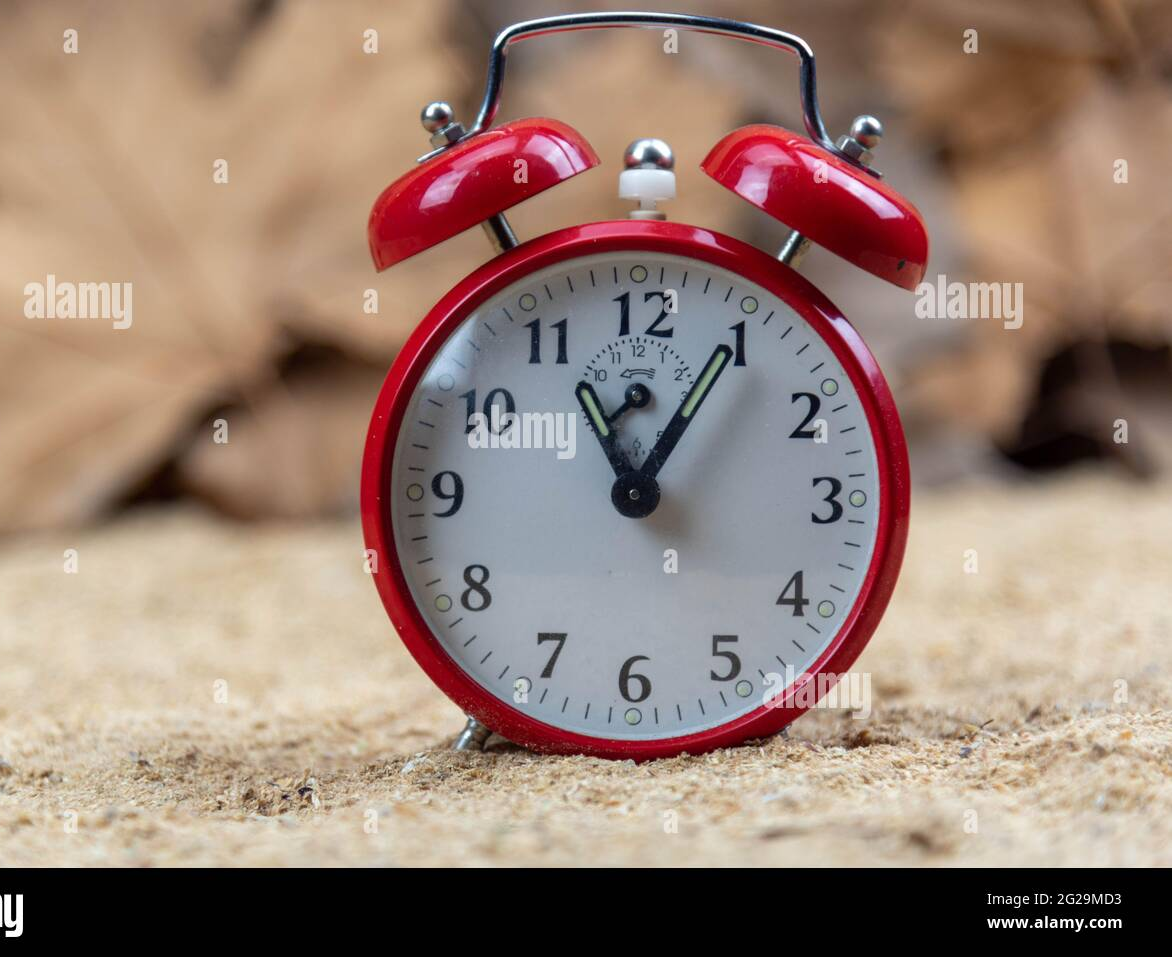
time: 11:05
